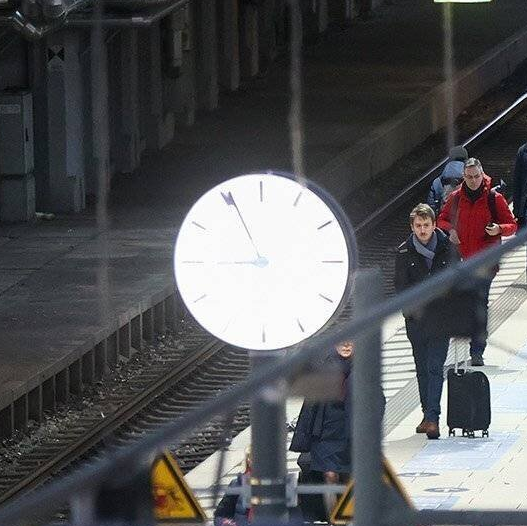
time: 8:55
